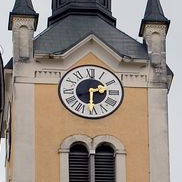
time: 2:29
